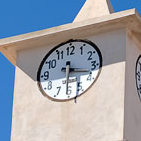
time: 3:30
